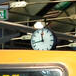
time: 11:43
